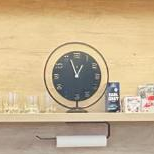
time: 12:56
